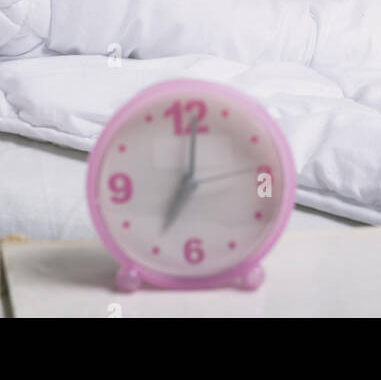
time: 7:01
